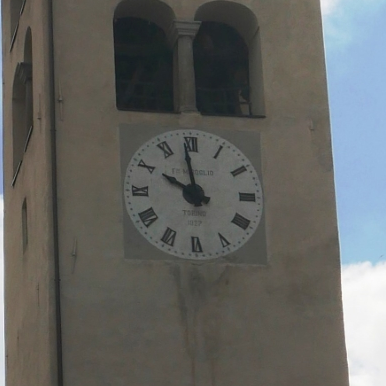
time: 9:58
